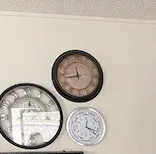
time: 11:43
